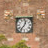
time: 12:36
